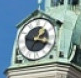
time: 1:18
